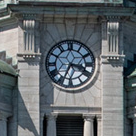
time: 3:34
